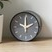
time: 1:59
